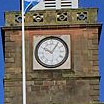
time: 10:05
